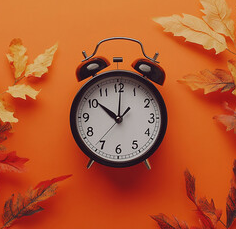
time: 10:00
